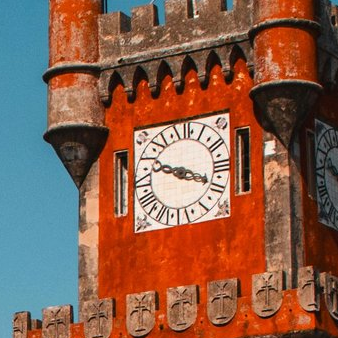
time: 9:18
